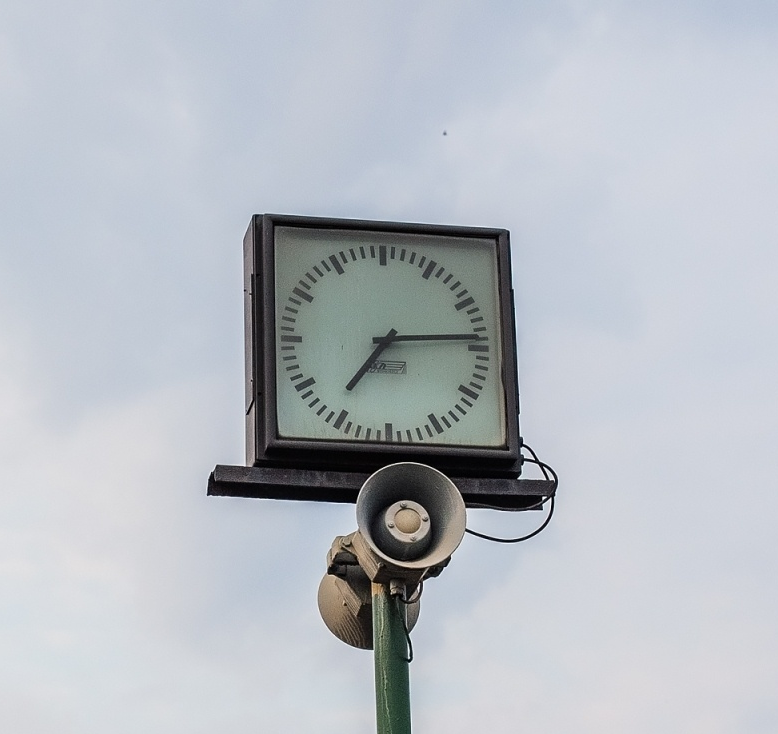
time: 7:14
